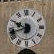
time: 9:42
